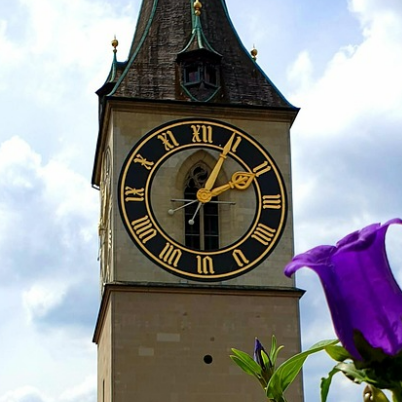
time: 2:04
